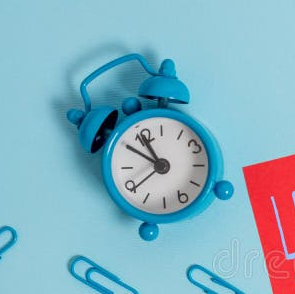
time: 10:50
